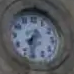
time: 7:32
